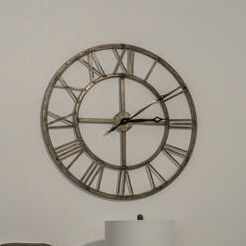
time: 2:59
